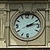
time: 2:13
